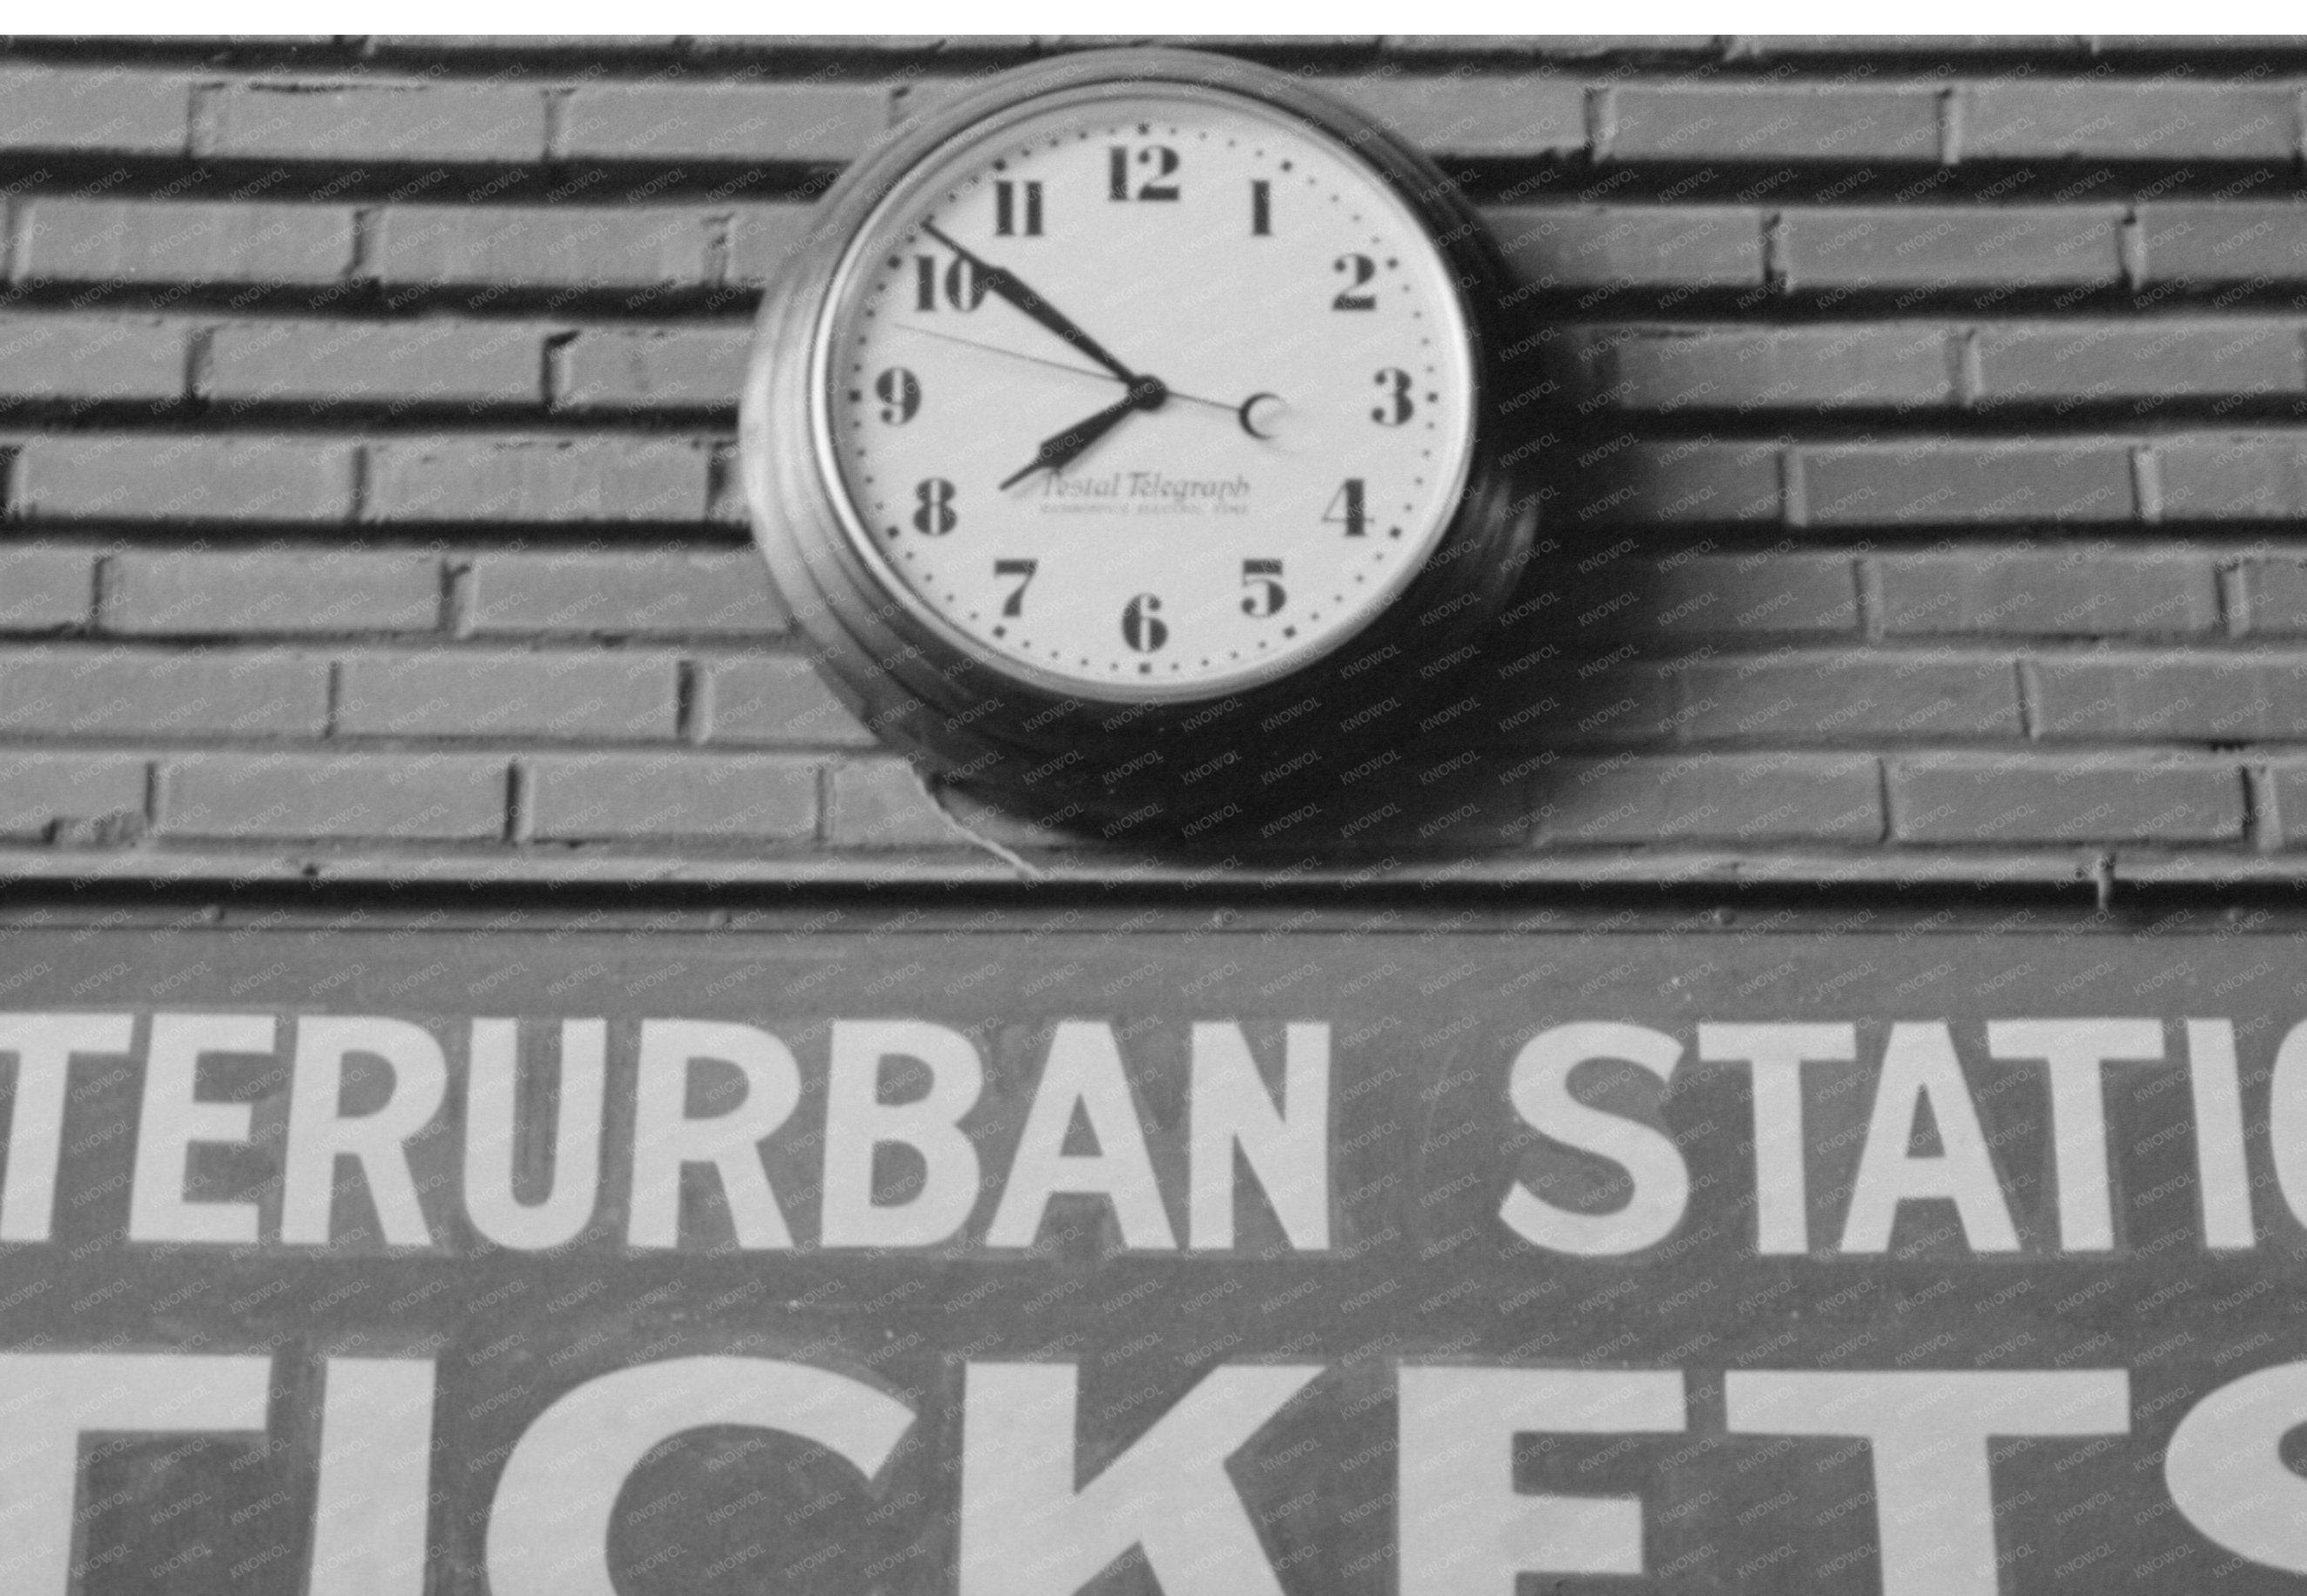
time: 7:51
